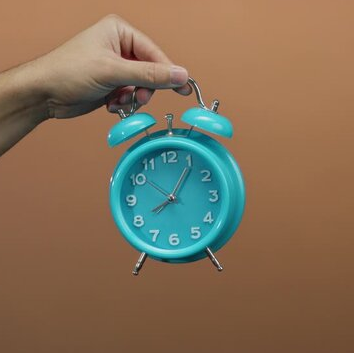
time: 8:05
